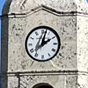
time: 2:02
